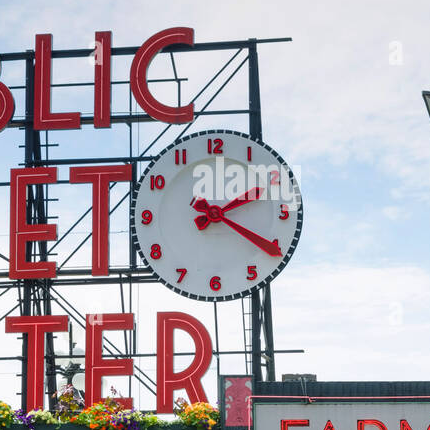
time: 2:20
